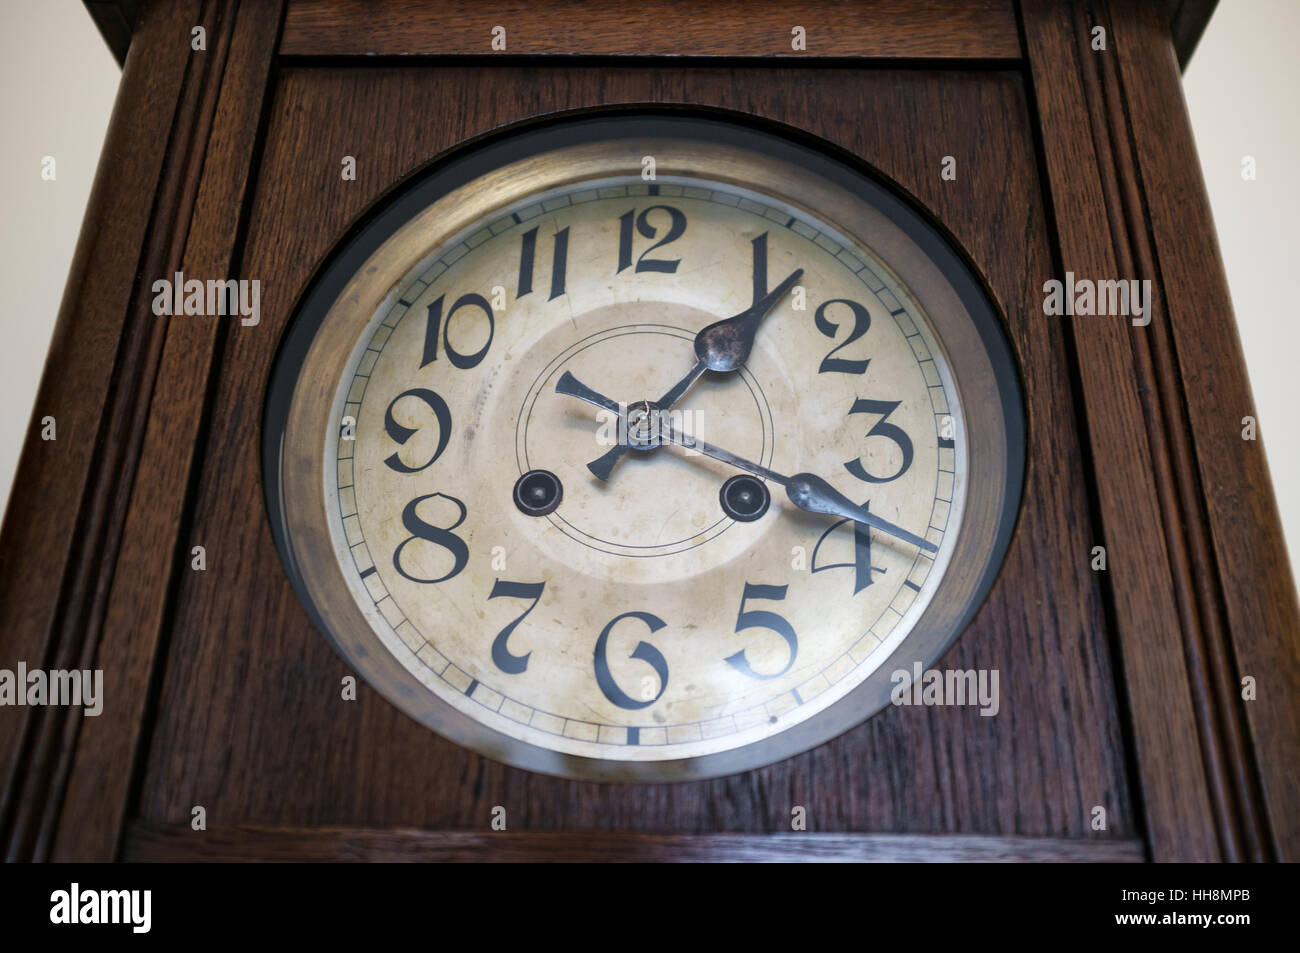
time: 1:18
